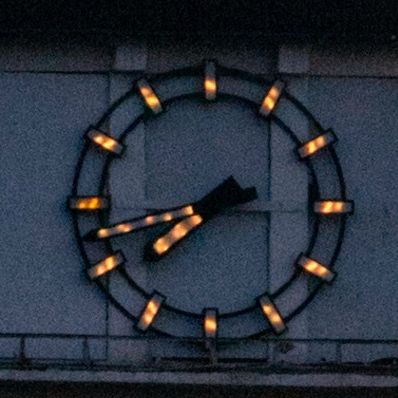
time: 7:42
